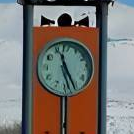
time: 11:25
